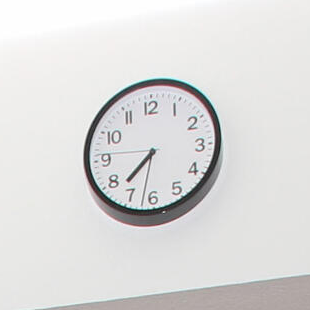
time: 7:32
